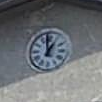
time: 12:58
